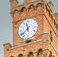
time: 11:37
